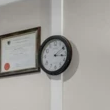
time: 3:09
